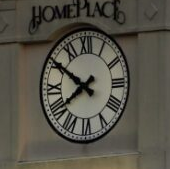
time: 7:50
